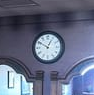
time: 12:50
